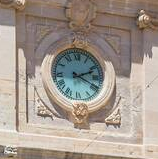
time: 2:18
